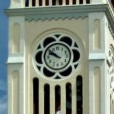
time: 9:51
